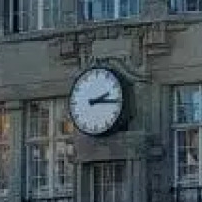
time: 2:15
